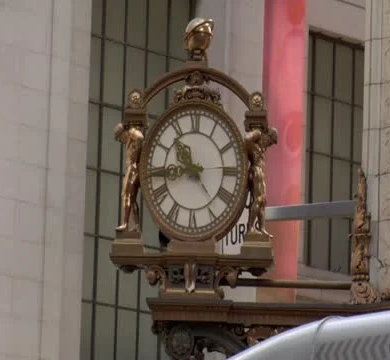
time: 10:43
